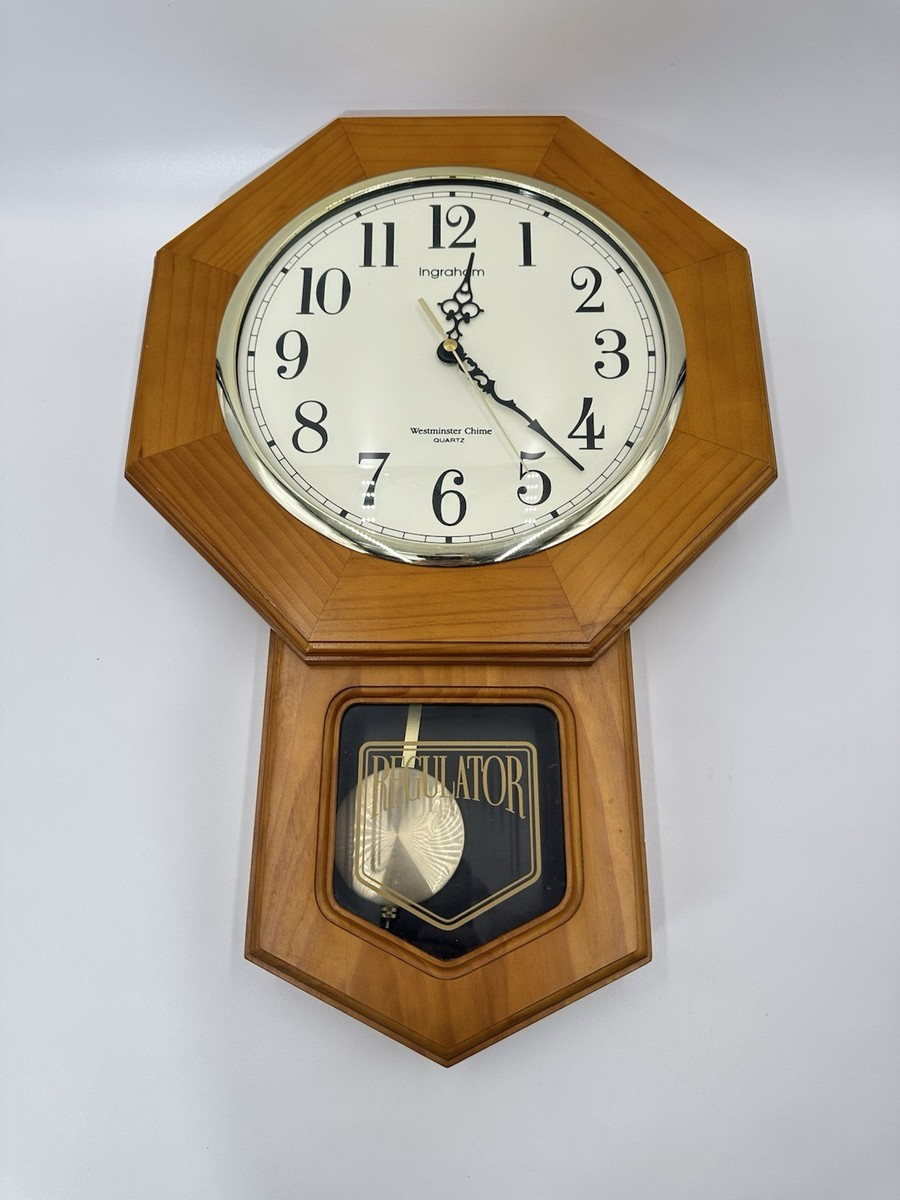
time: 12:21
